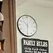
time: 10:30
